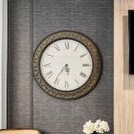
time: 5:35
